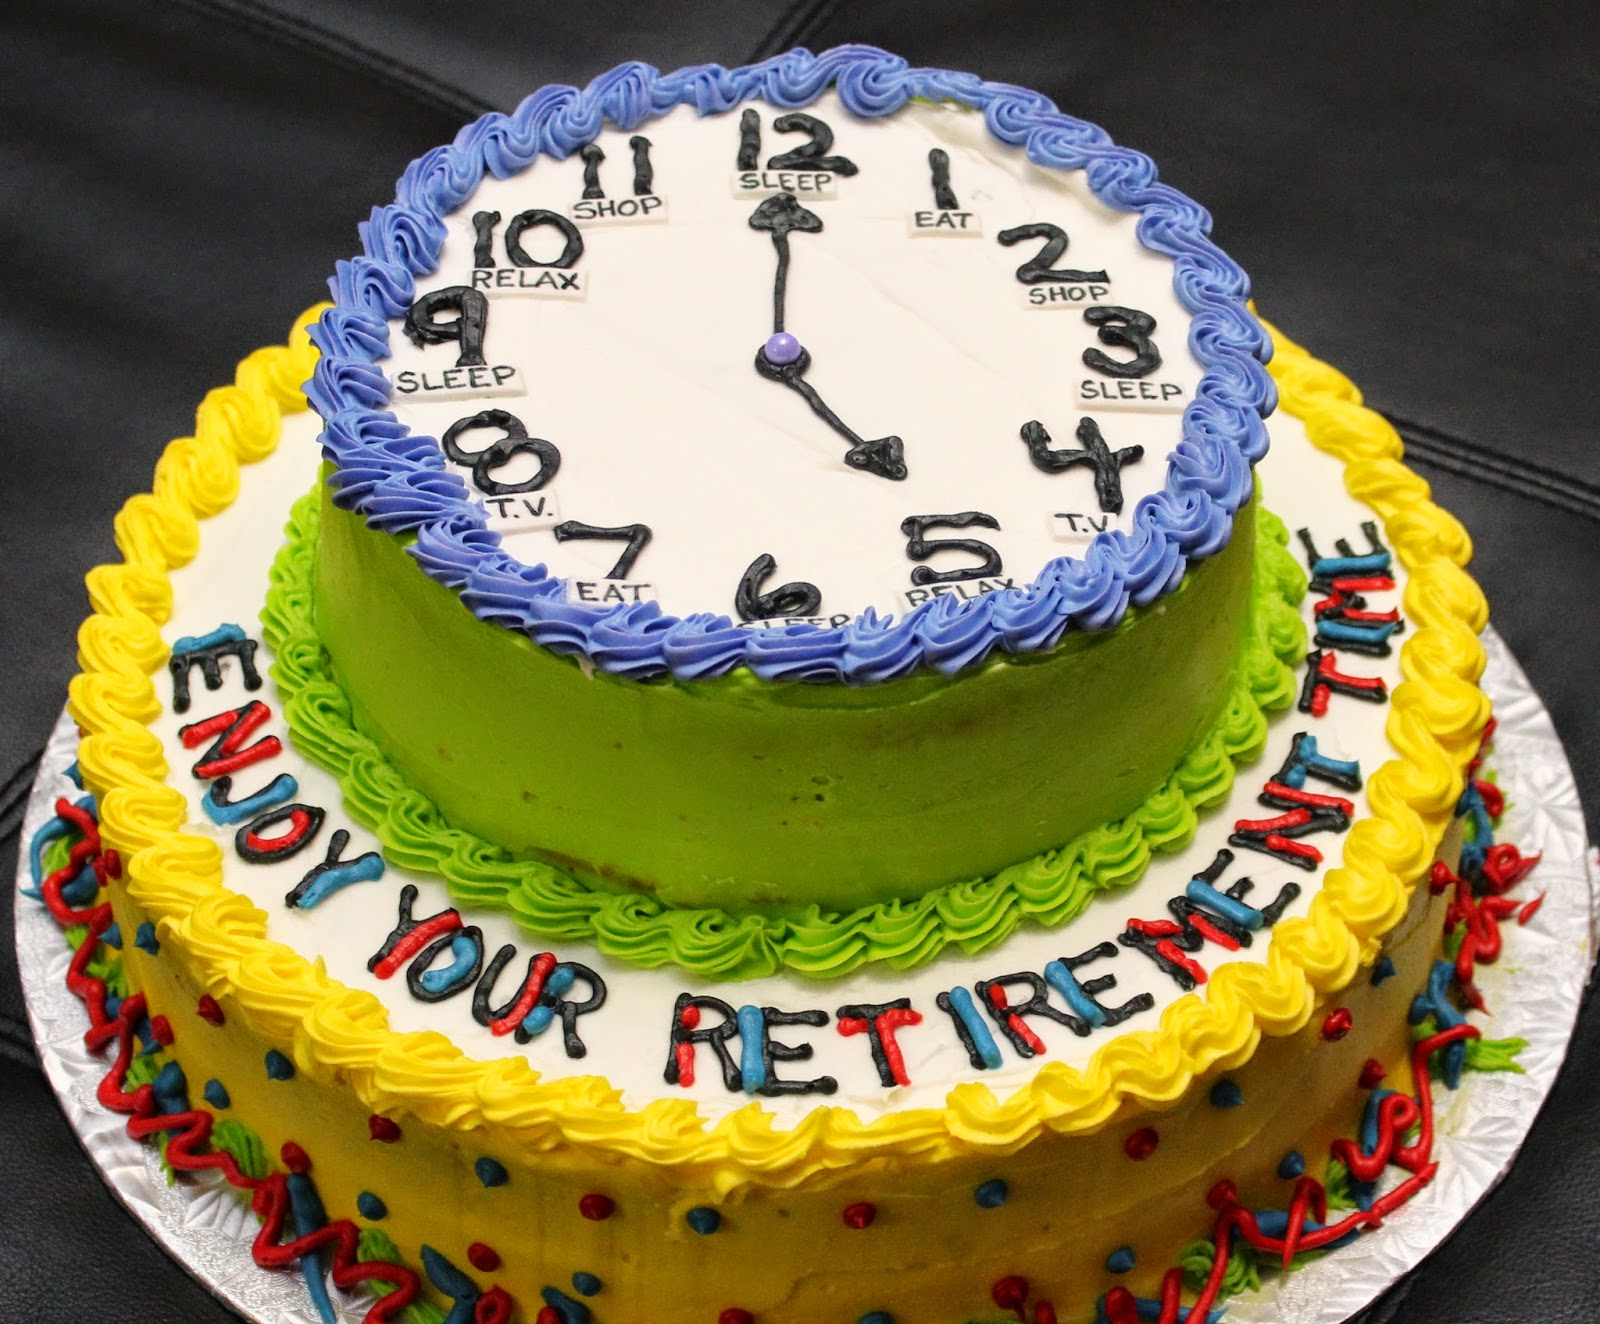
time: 5:00
